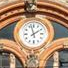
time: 1:57
